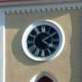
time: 4:09
